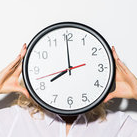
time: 7:59
